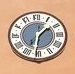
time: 1:31
